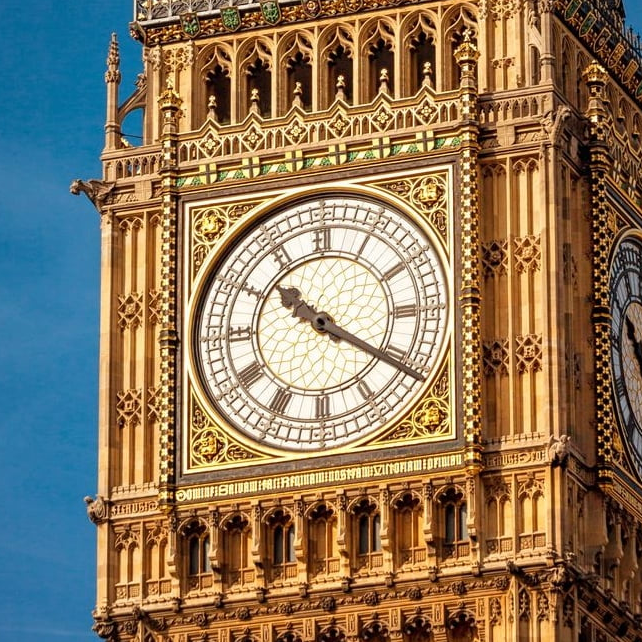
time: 10:20
